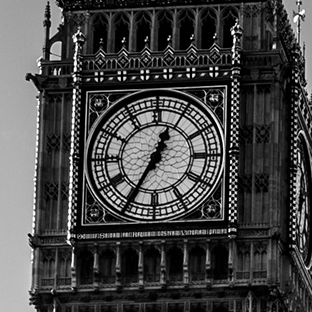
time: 12:34
